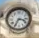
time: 3:35
